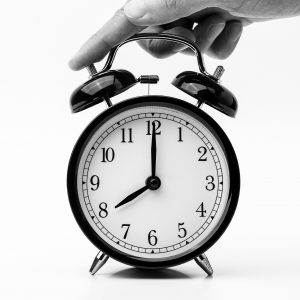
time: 8:00
